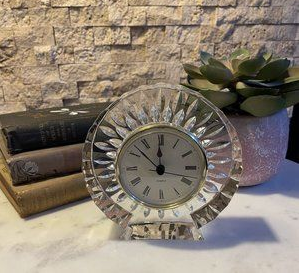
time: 11:52
